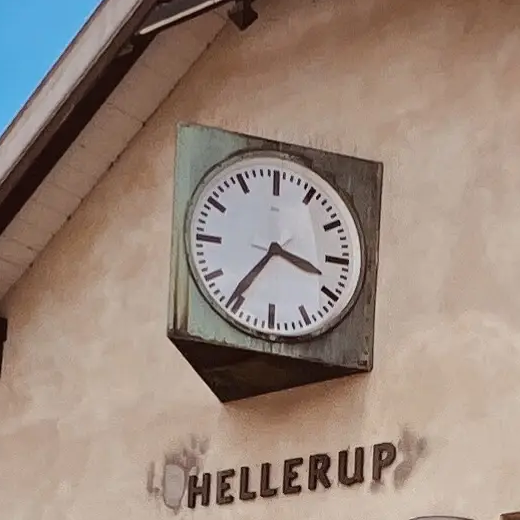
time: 3:36
